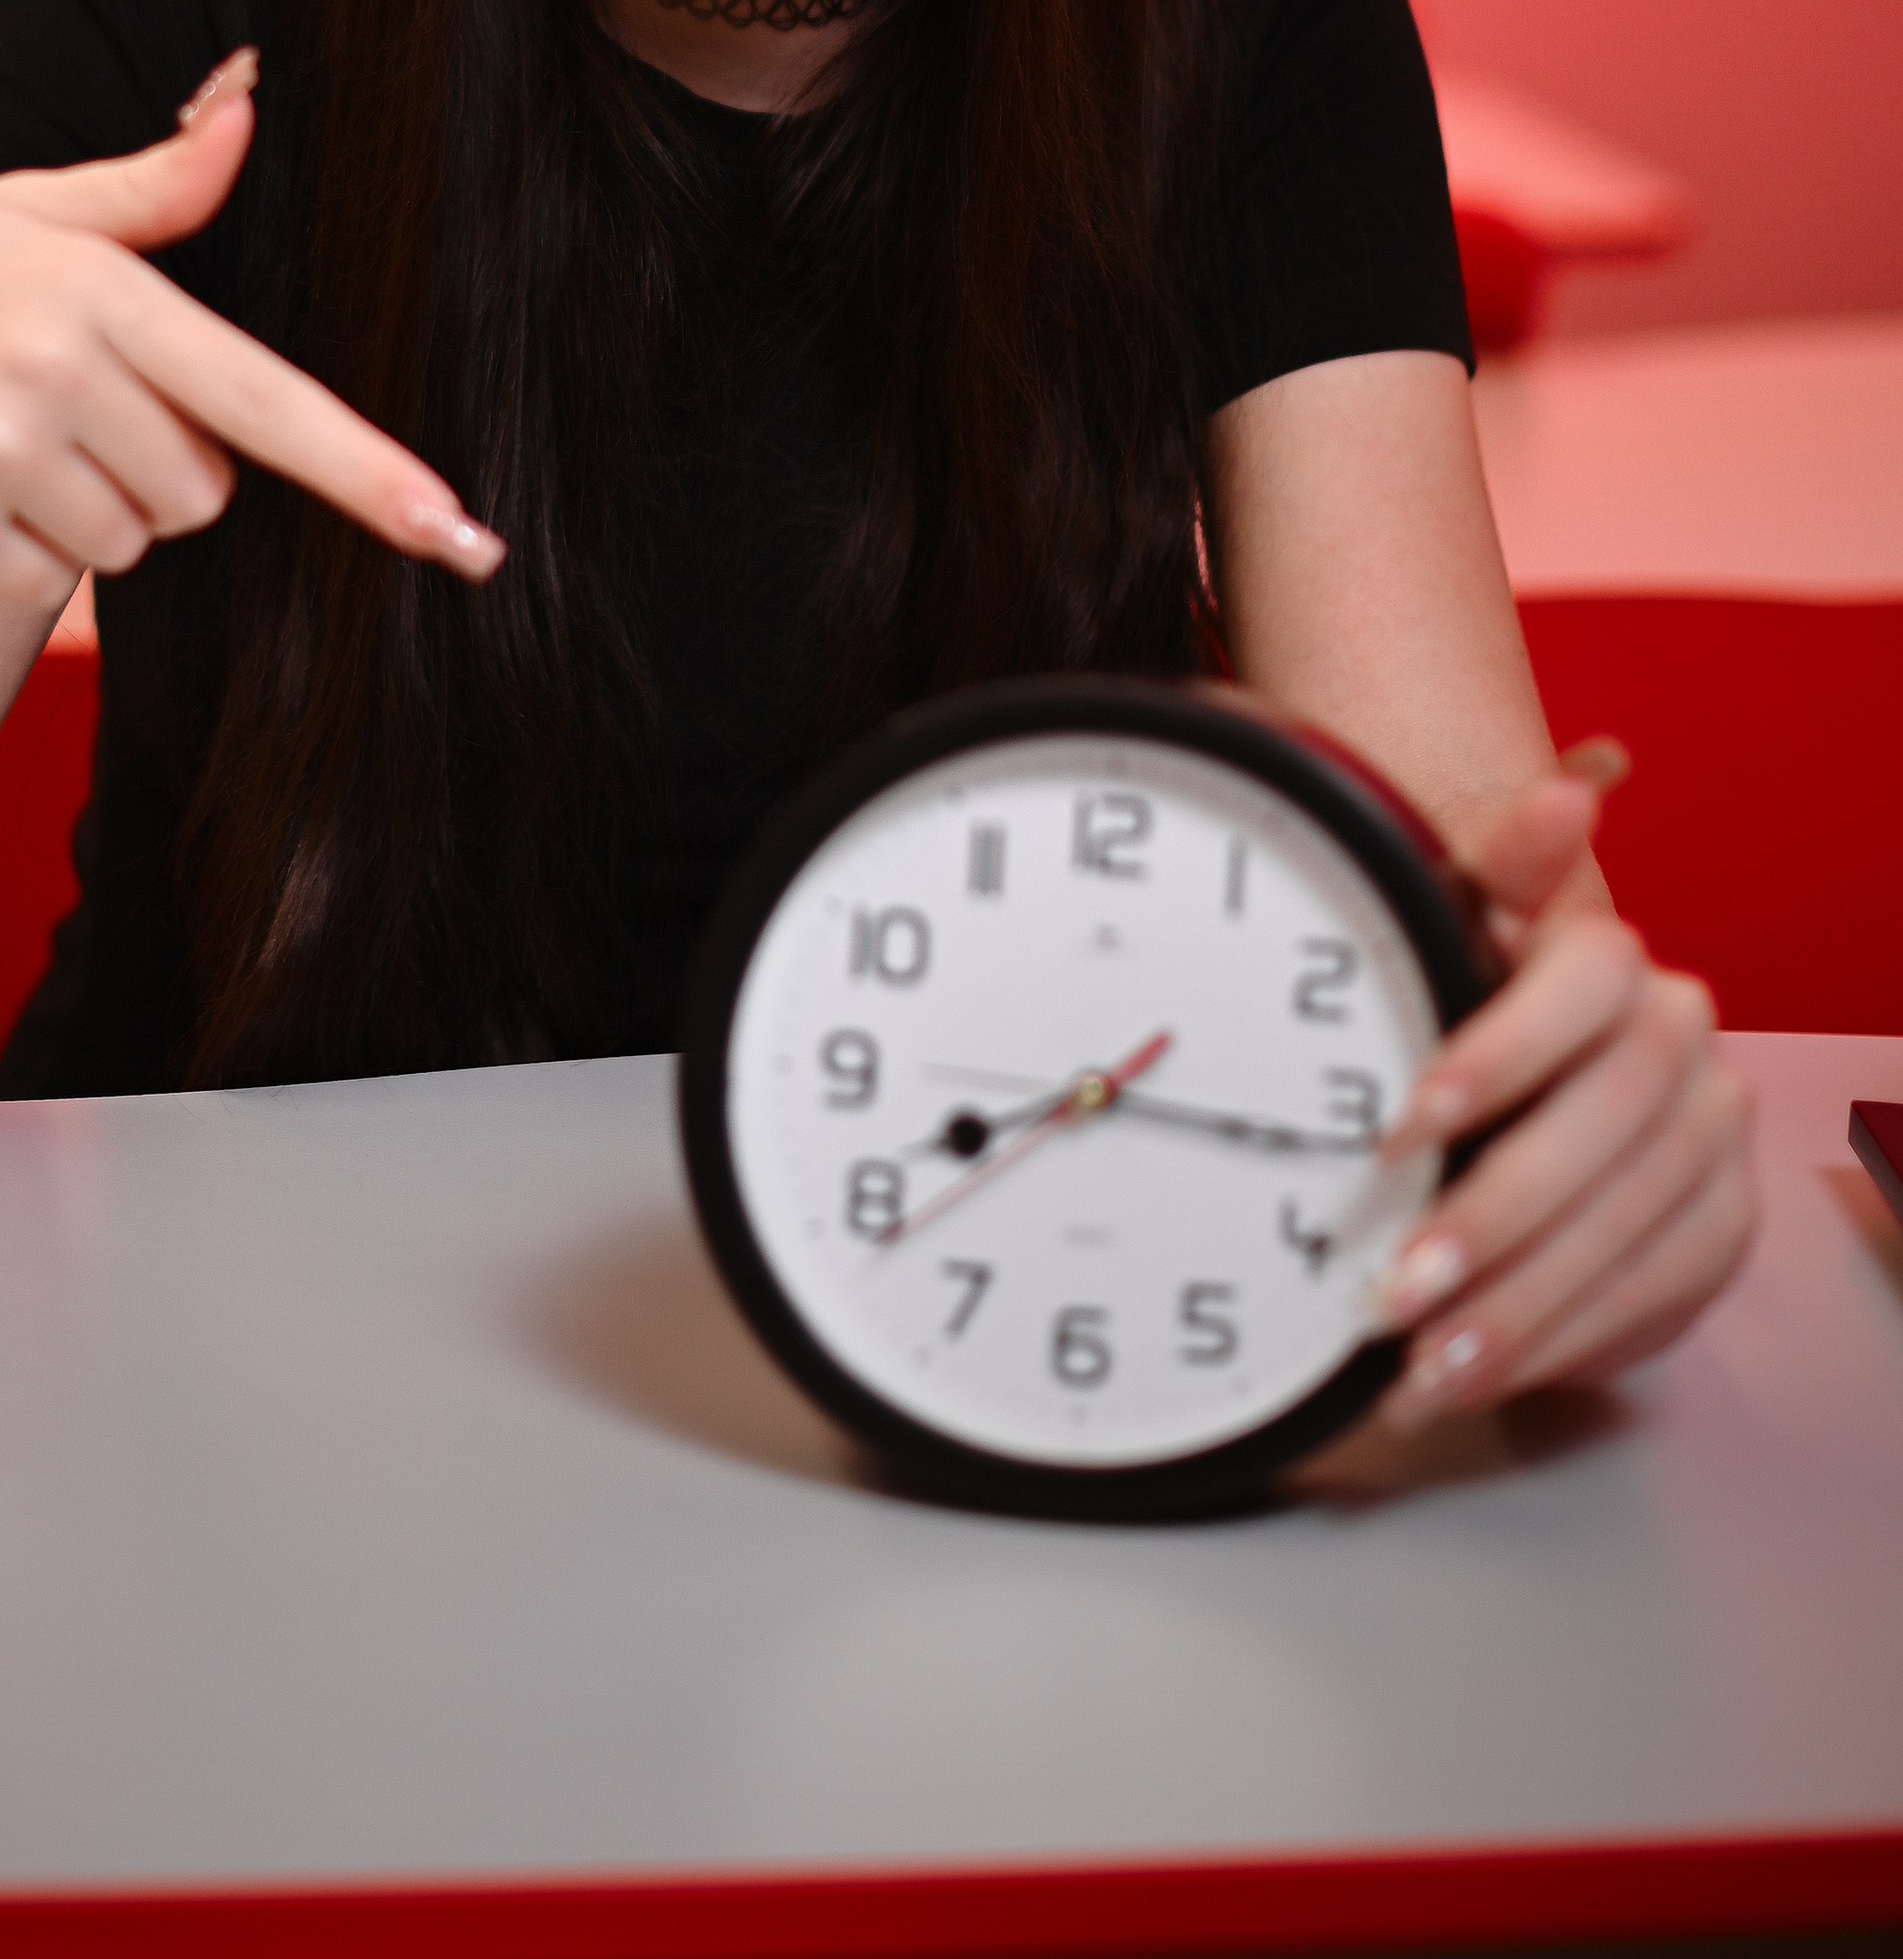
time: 8:16
